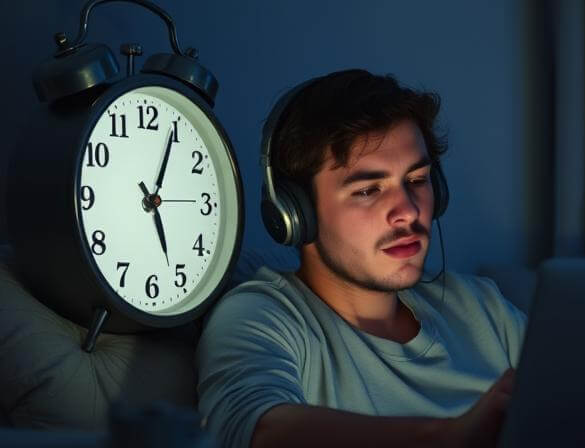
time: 5:04
